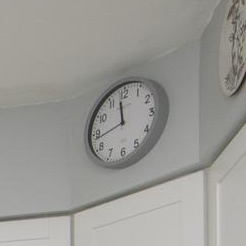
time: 11:43
